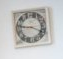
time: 9:18
